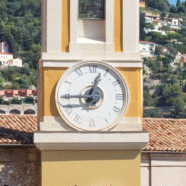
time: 12:44
